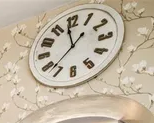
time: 11:37
